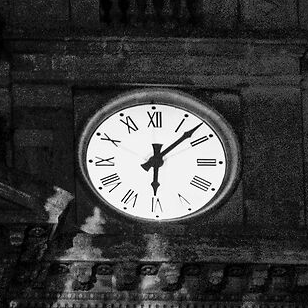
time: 6:07
